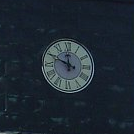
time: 11:48
